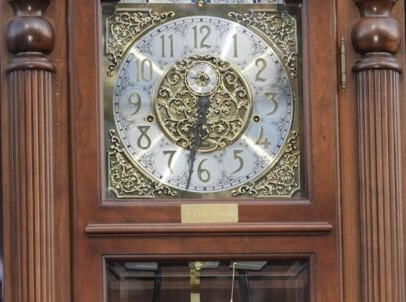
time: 6:32
